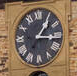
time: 1:16
